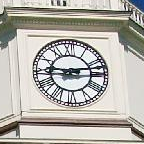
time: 9:12
